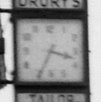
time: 3:34
